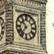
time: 10:36
